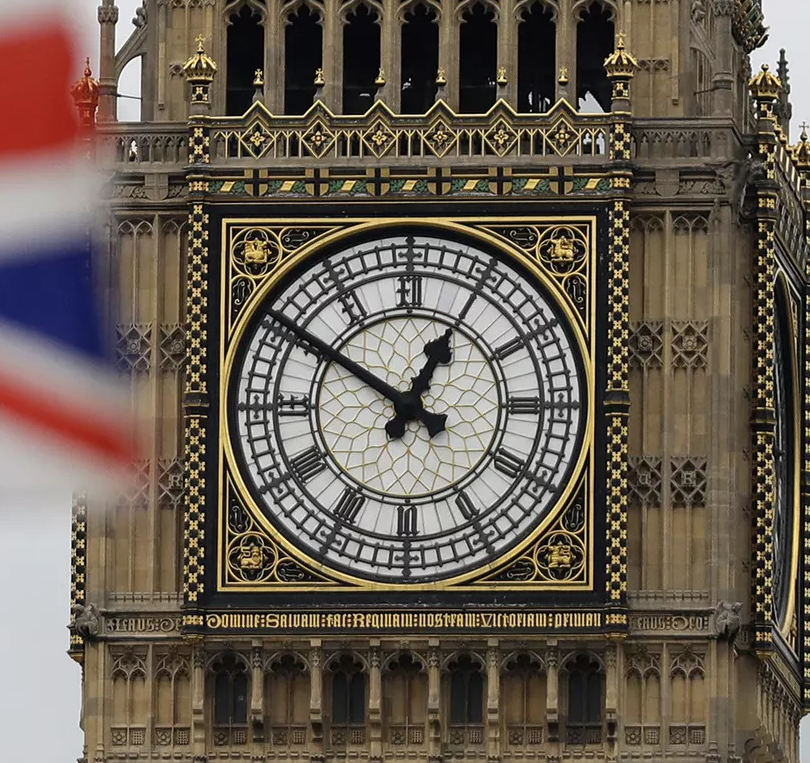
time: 12:50
